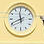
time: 11:40
